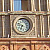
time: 6:47
